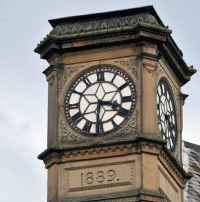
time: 3:31
